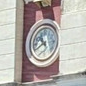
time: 10:40
